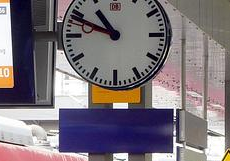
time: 10:48
